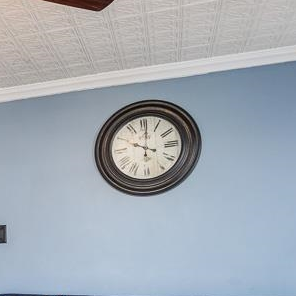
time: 10:00
